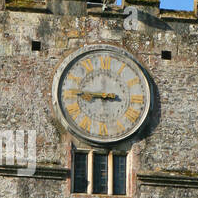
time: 8:45
